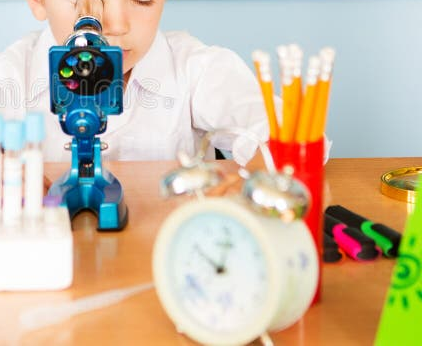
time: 10:02
